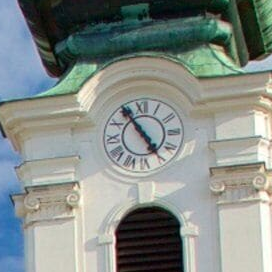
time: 4:54
